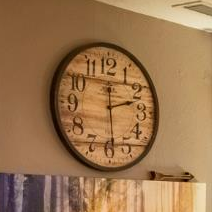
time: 2:29
